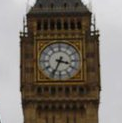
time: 3:34
